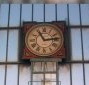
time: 11:13
